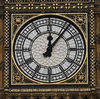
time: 12:06
